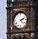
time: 2:23
